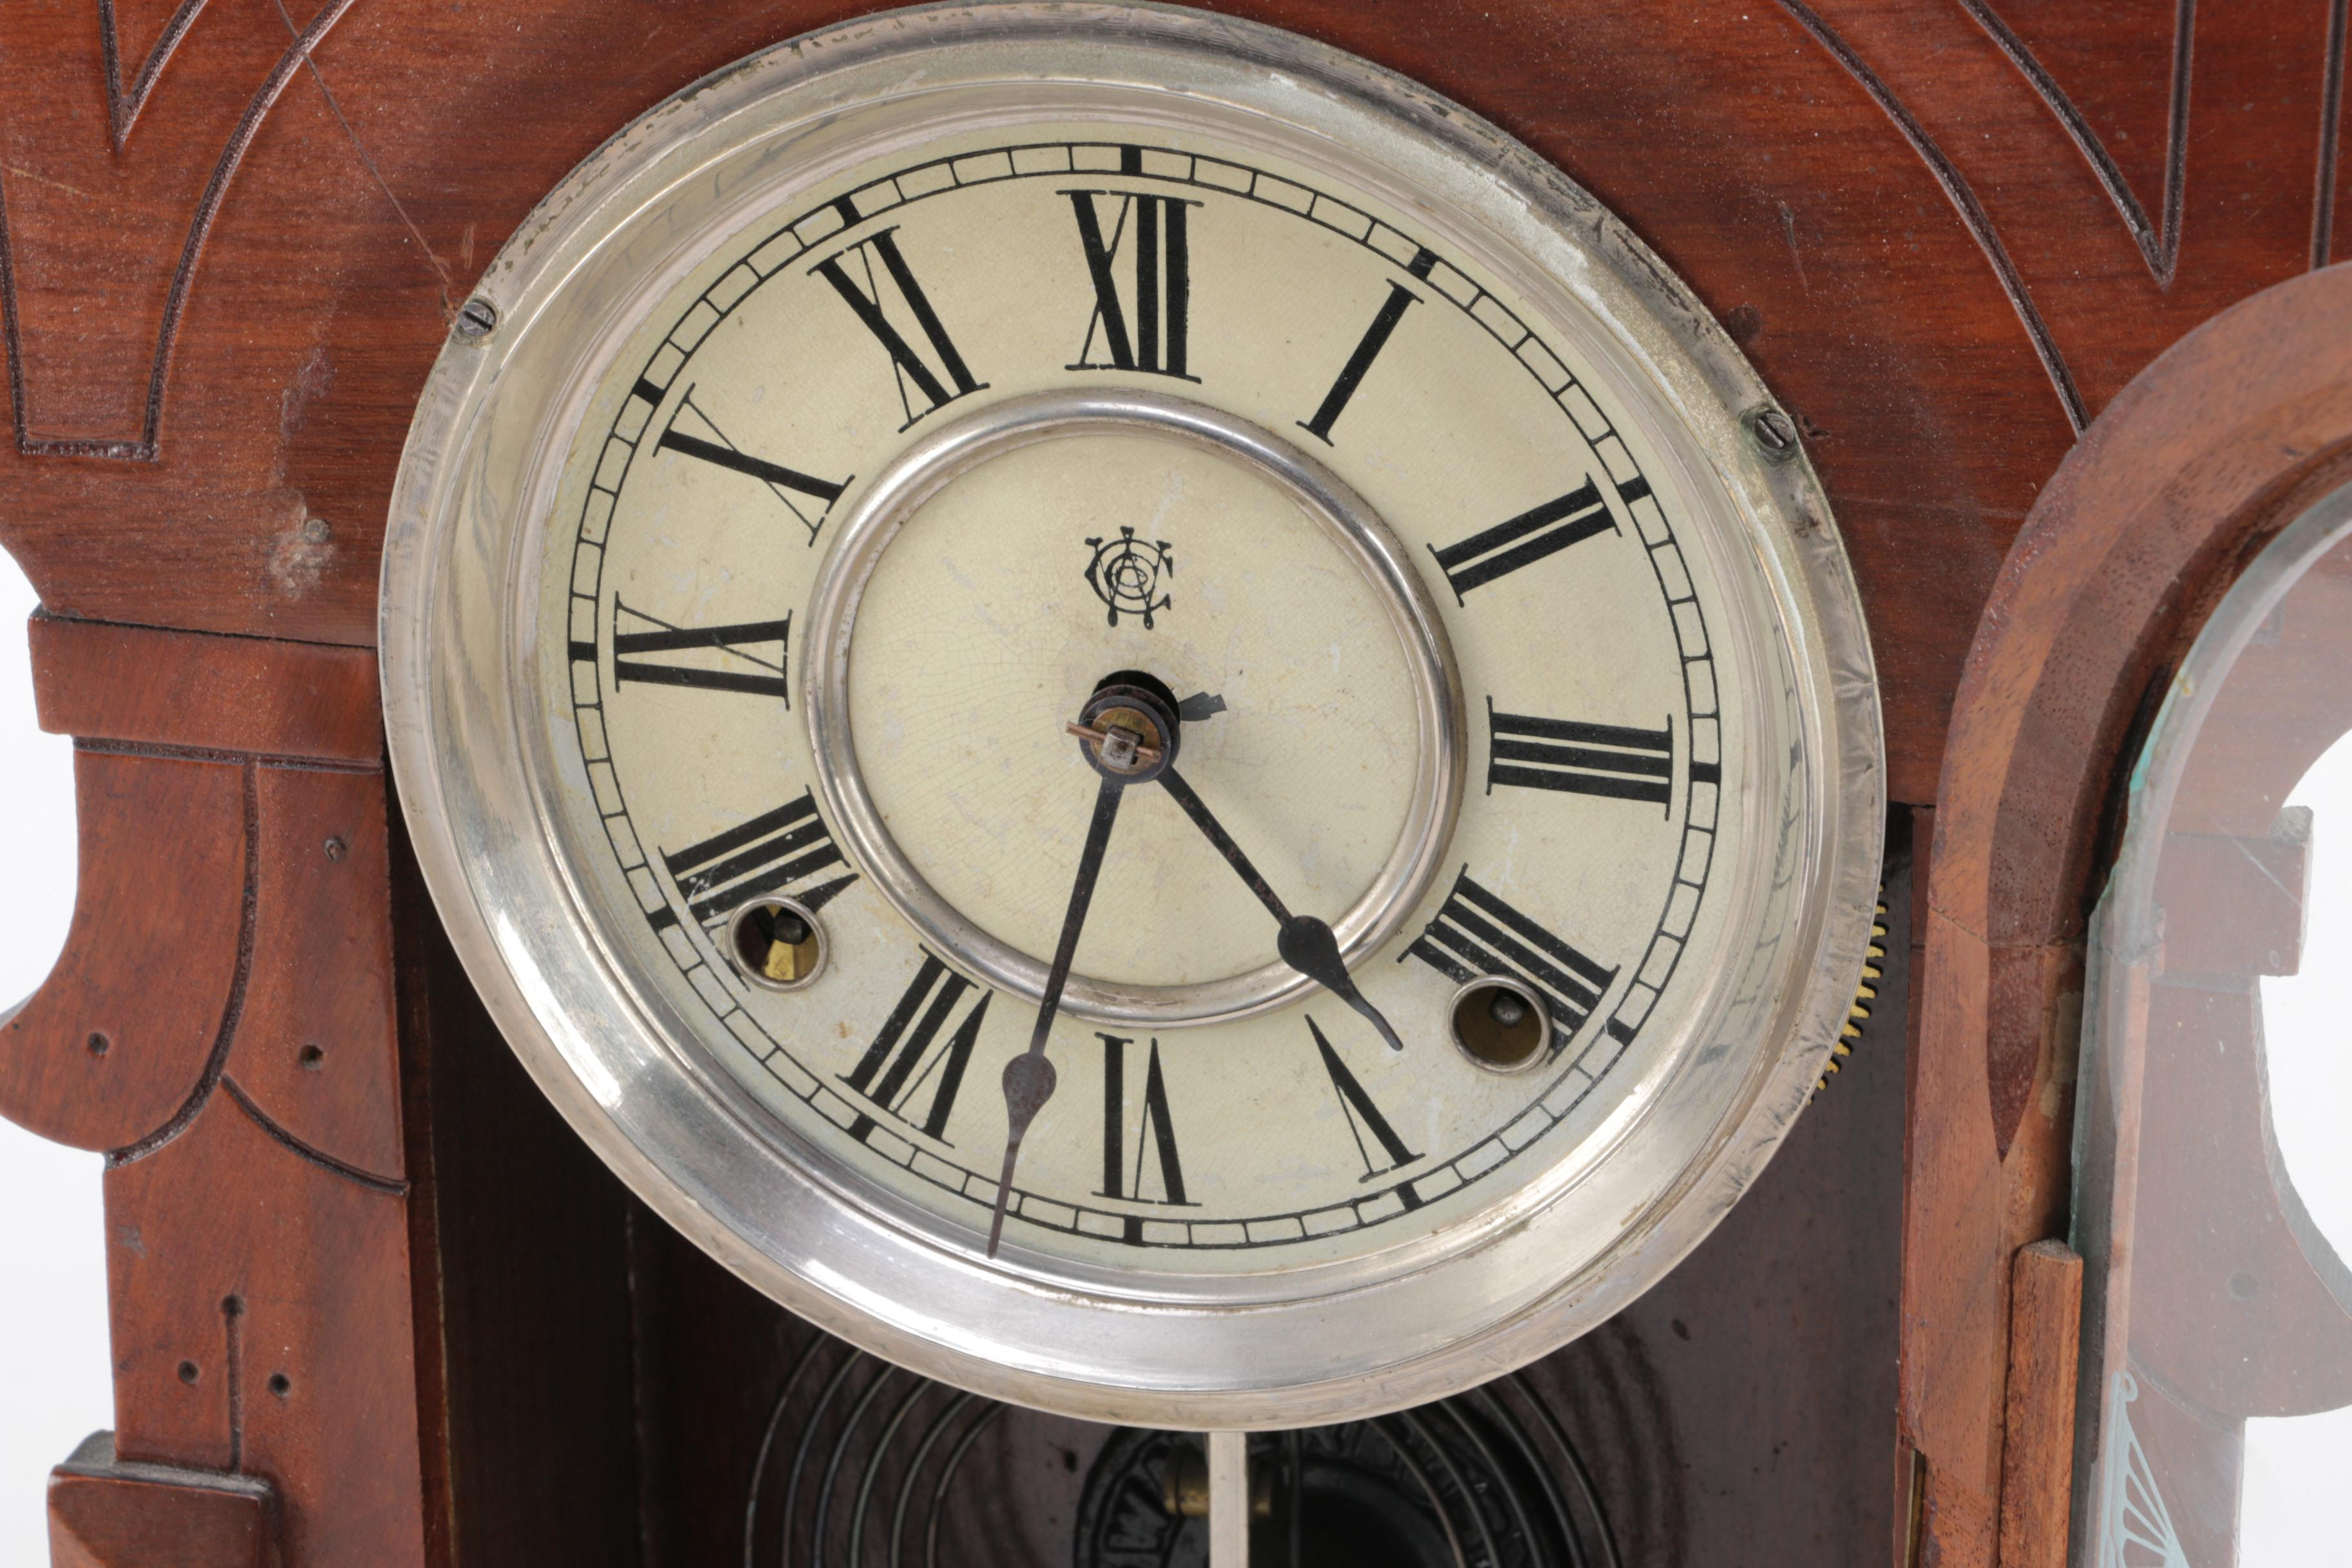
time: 4:32
